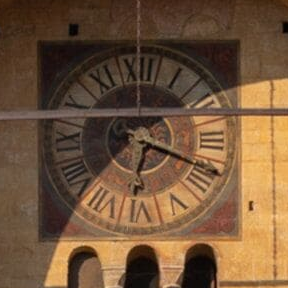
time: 6:18
